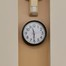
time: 11:30
